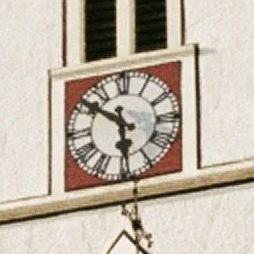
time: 5:51
